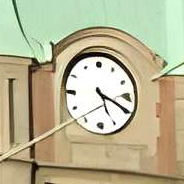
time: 5:19
